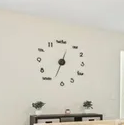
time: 12:33
